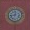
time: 9:01
